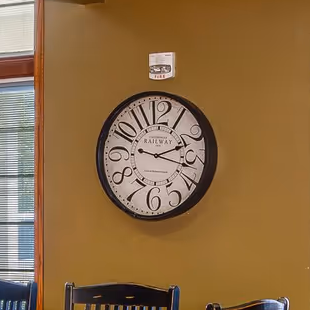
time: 2:17
